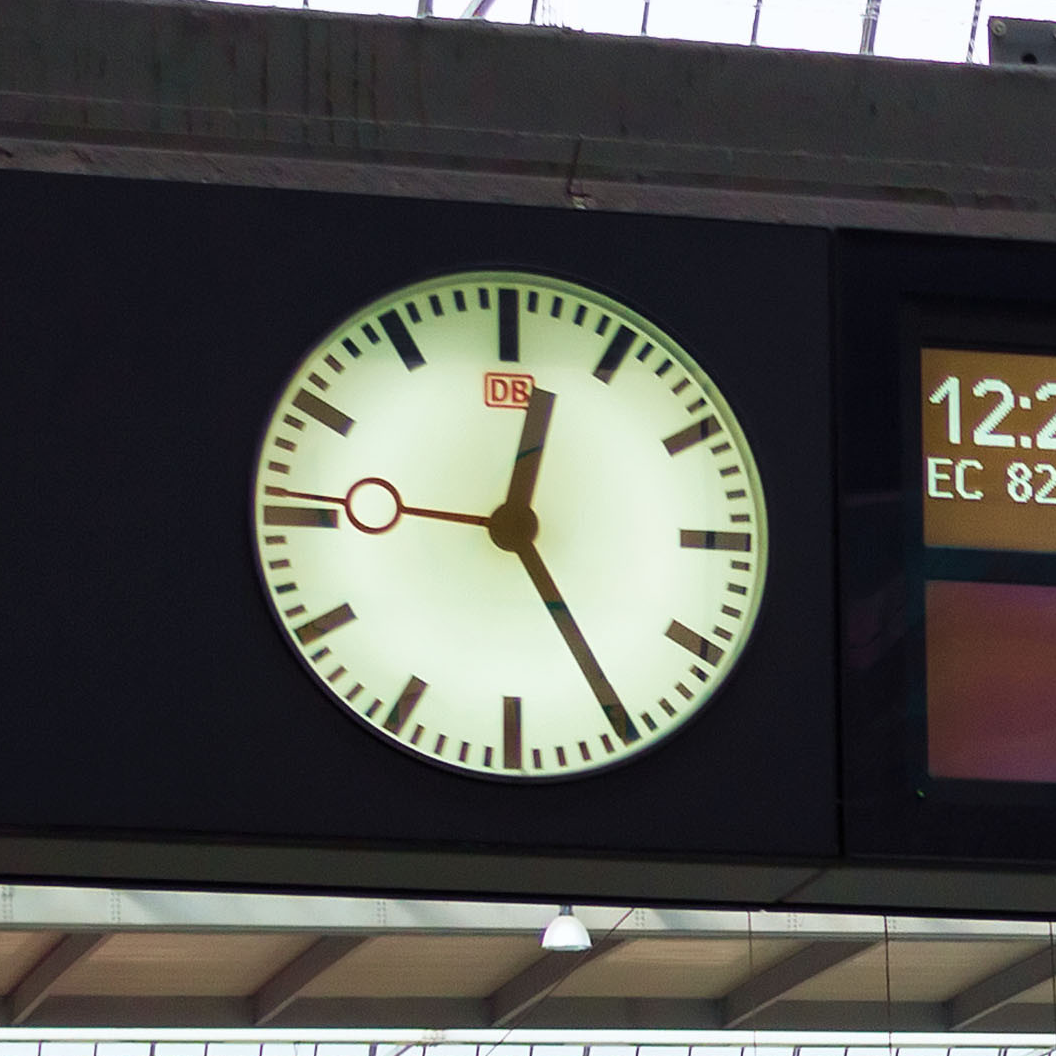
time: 12:24
